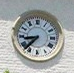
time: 8:37
